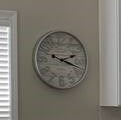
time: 2:18
